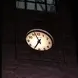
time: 6:56
